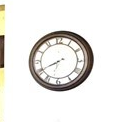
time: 7:40
